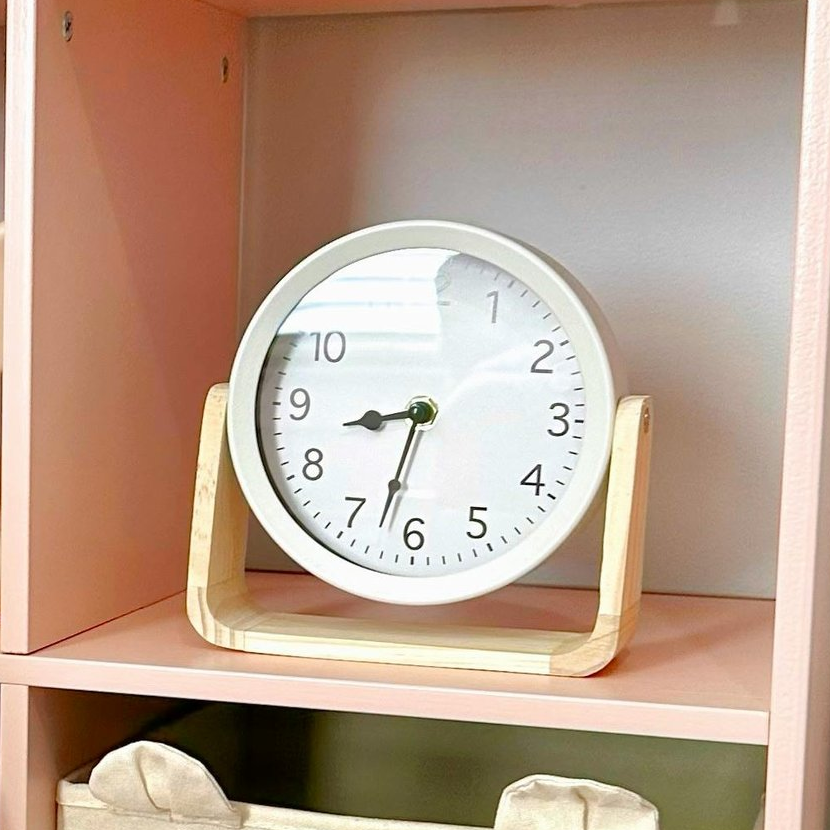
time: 8:32
